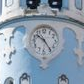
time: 10:24
